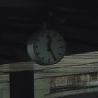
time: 12:25
